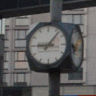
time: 9:06
